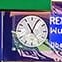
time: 11:04
